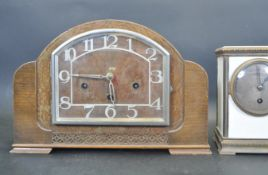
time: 5:45
